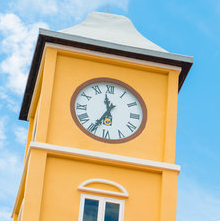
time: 11:34
